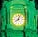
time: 8:03
